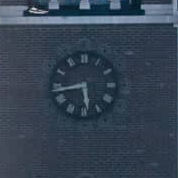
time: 5:43
